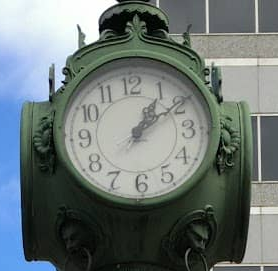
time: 1:09
